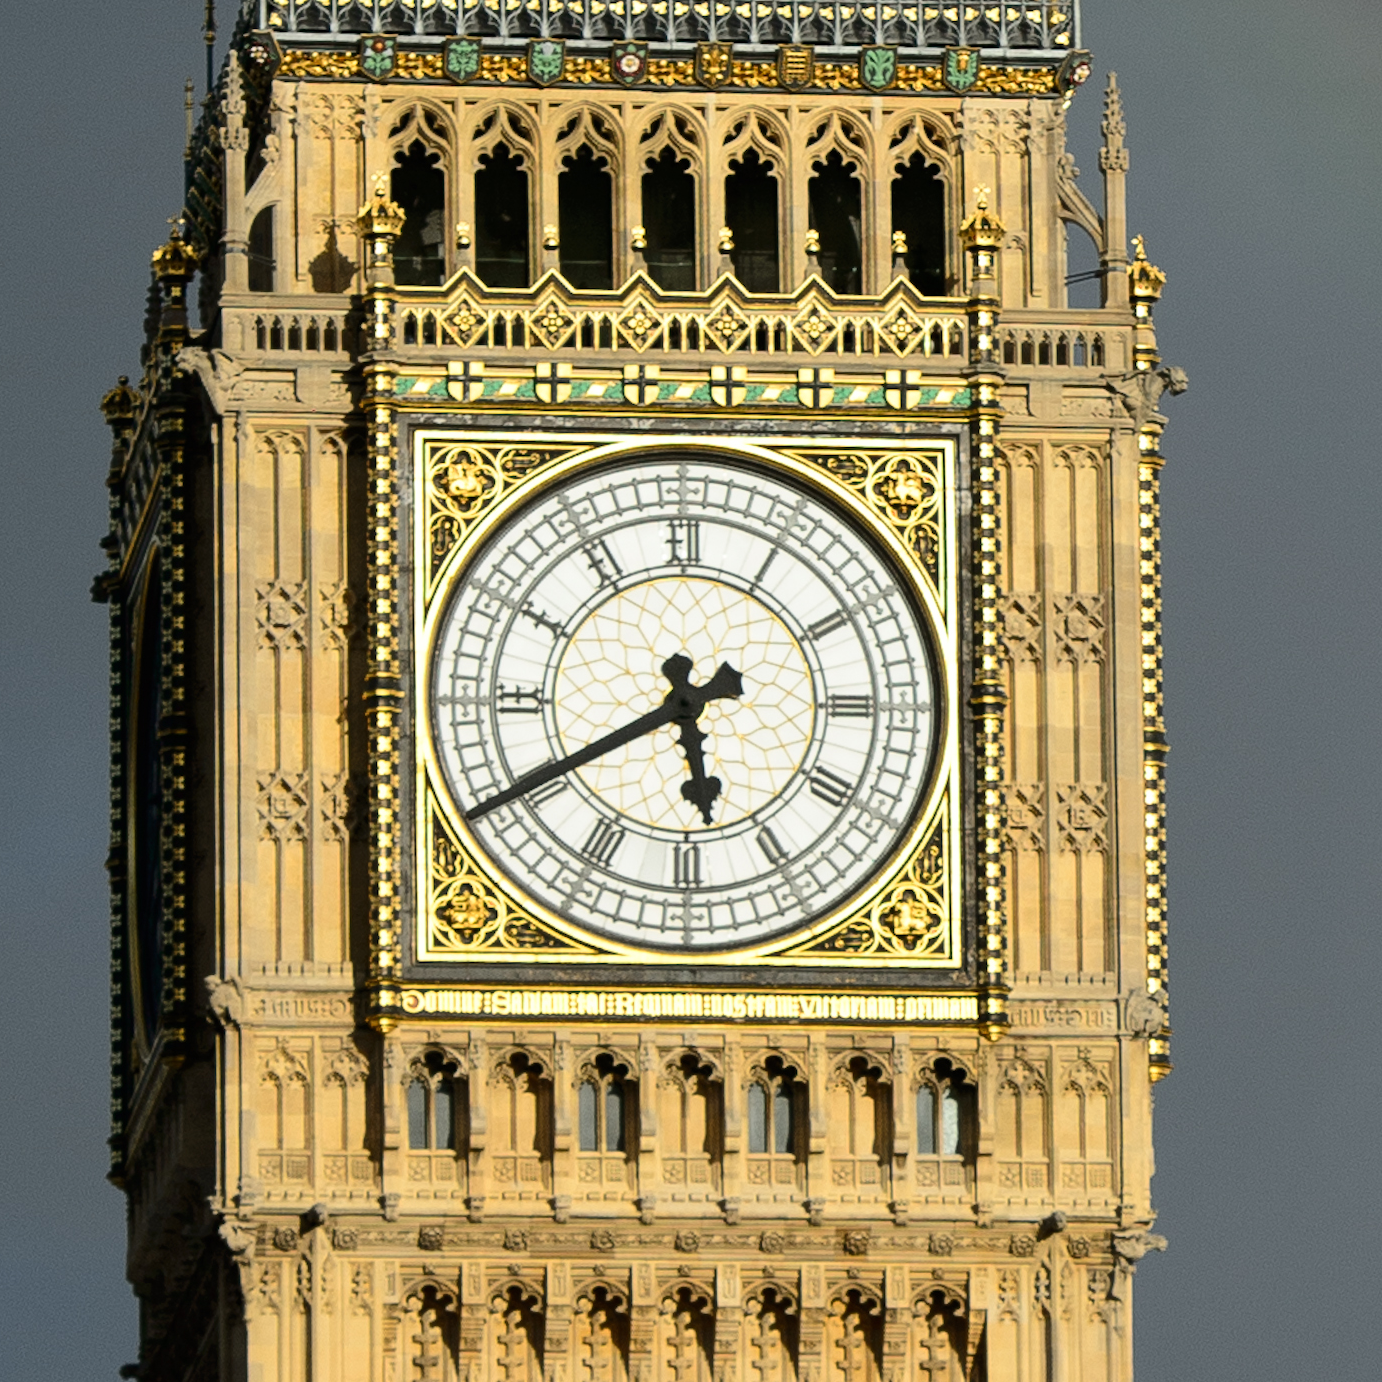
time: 5:40
